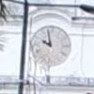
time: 9:57
